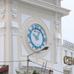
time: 10:04
